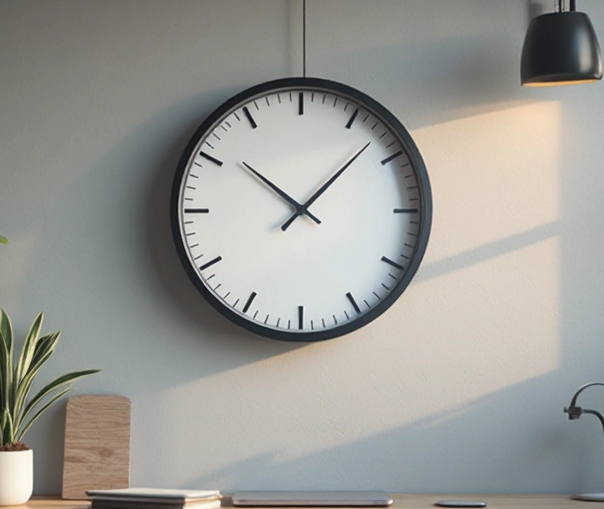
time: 10:07
